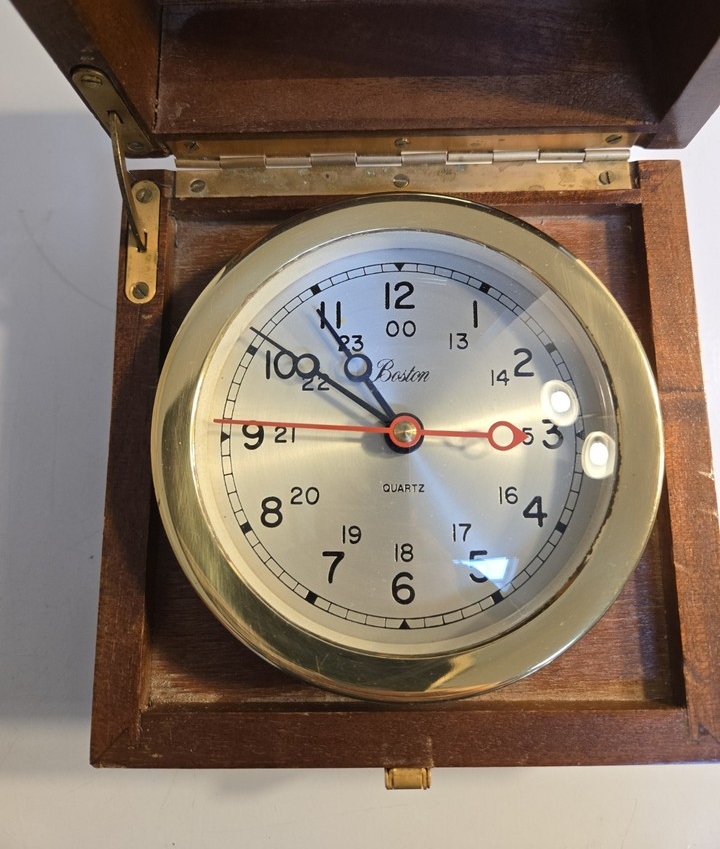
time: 10:50
